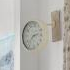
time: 2:37
